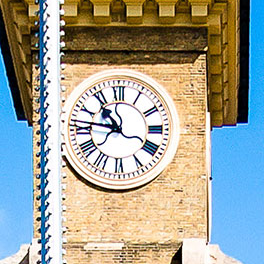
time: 10:46
